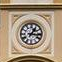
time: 1:16
